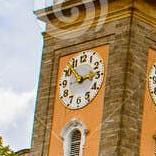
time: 2:52
